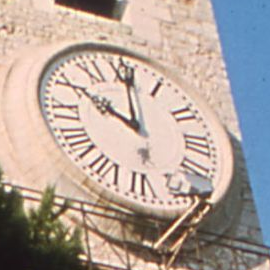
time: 10:00
